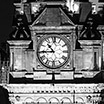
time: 10:44
